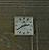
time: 2:39
